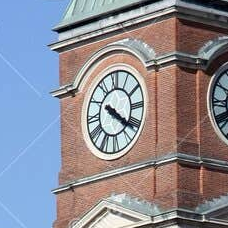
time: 4:21
